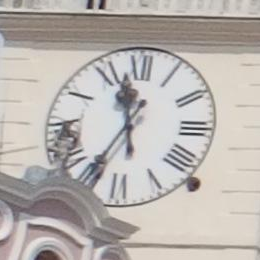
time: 11:34
